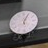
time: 12:04
